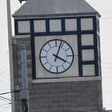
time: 4:03
